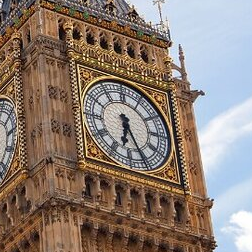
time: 6:25
